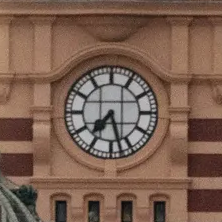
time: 7:27
